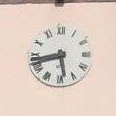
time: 5:43
